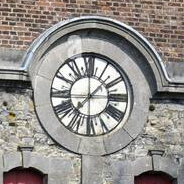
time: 1:37
